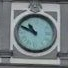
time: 10:49
